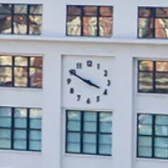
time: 3:49
